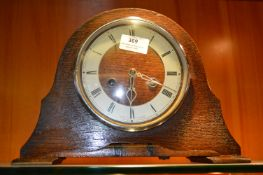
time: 5:18
